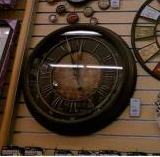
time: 9:14
